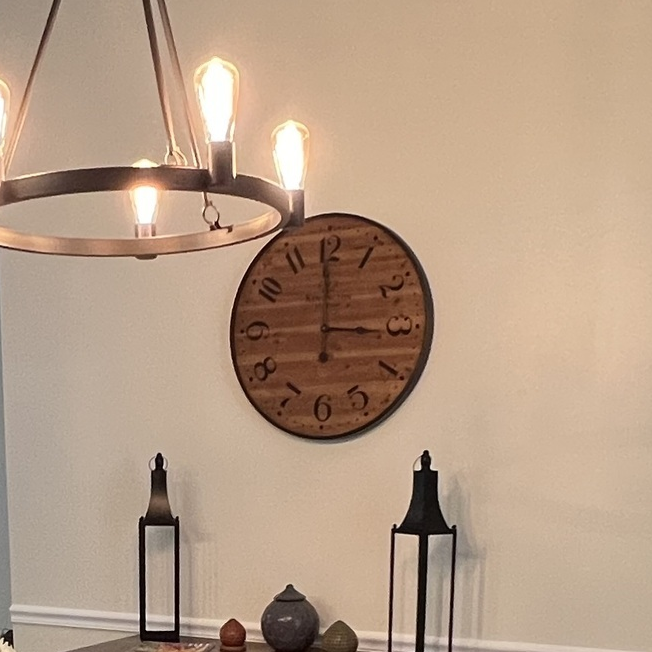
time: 2:59
